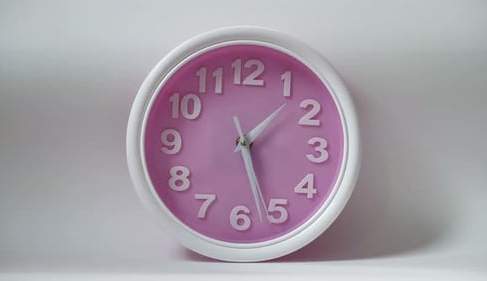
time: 1:27
